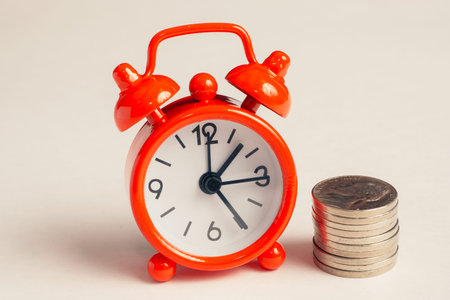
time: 1:24
